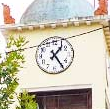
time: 1:24
